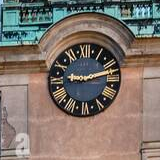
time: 9:12
